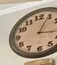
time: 3:04
